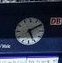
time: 5:09
